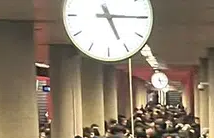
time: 5:15
